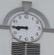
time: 8:45
